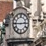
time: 2:45
